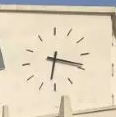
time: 6:18
